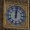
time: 12:01
